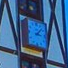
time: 3:07
